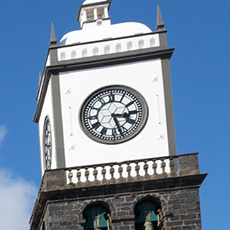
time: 3:27
